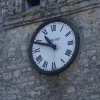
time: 10:48
